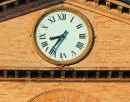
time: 8:36
